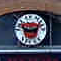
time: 2:48
